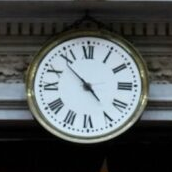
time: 4:53
